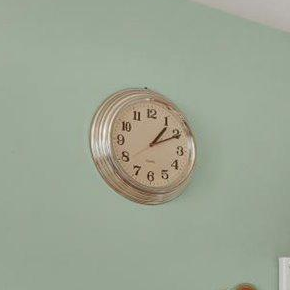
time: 1:10
